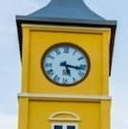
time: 5:16
